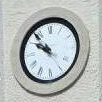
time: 9:53
